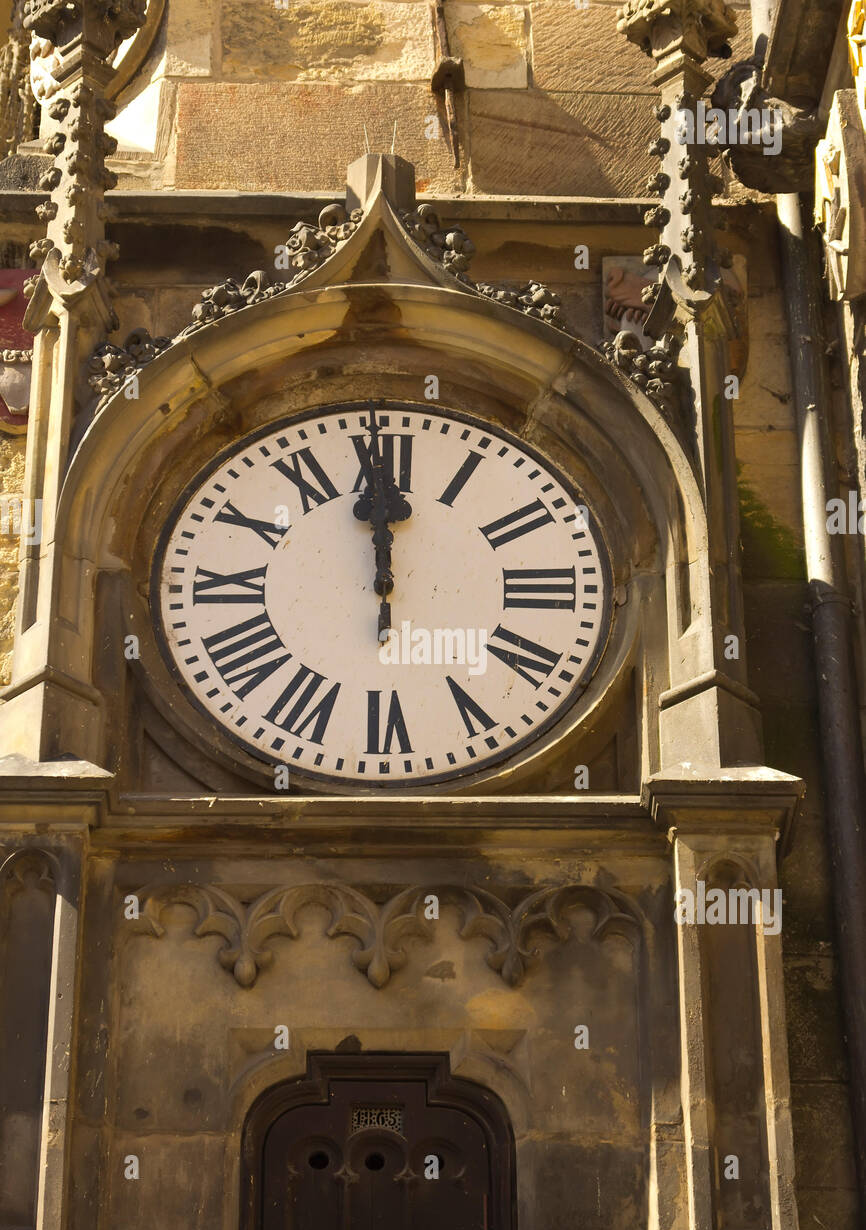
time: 11:59
